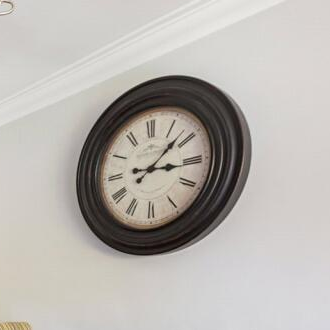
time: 3:08
